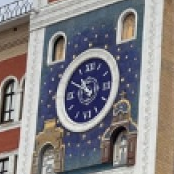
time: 10:49
